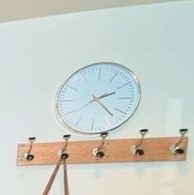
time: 2:22
